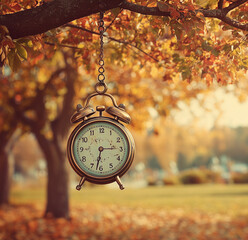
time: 2:32
